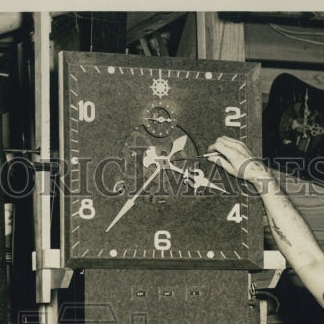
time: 3:36
